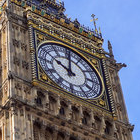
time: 10:00
